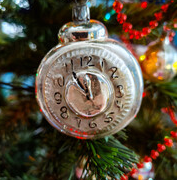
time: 11:54
